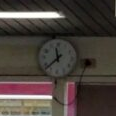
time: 11:37
